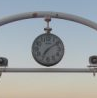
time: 7:09
